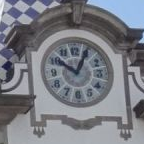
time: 10:04
